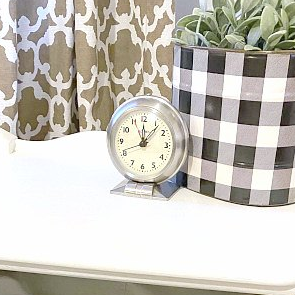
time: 12:06
